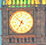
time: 6:52
